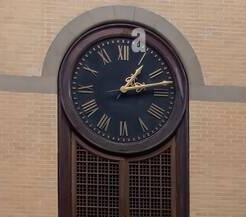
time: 1:13
